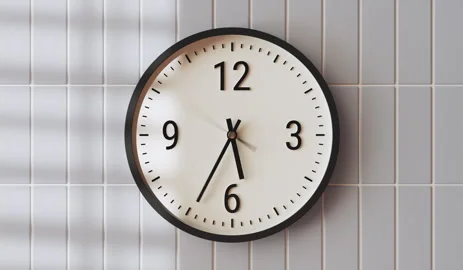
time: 5:34
